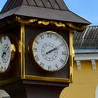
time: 2:09
